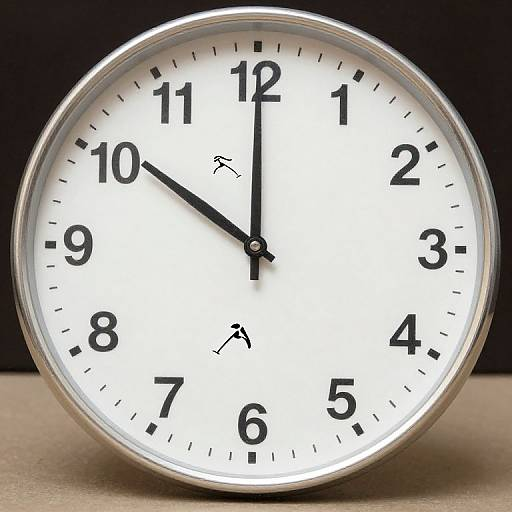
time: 10:00
